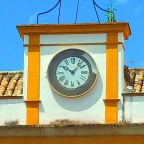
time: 10:07
